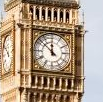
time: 11:51
